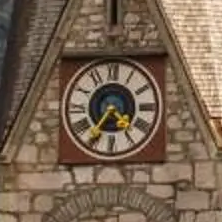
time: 4:36
